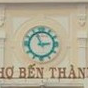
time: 2:56
